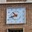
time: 10:42
